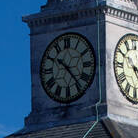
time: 10:22
